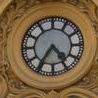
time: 4:35
